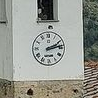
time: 2:13
